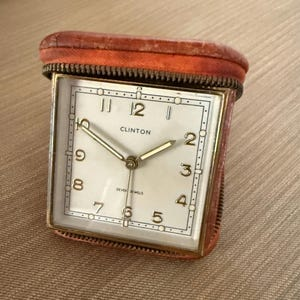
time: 1:50
